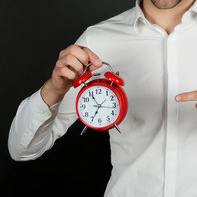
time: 6:54
